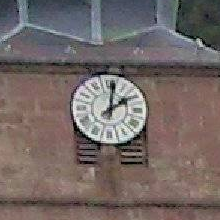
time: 2:01
